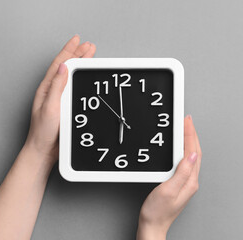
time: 5:59
